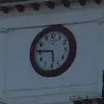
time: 5:45
